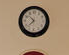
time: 10:37
